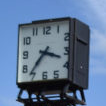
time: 3:36
